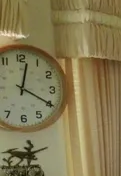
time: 12:19
